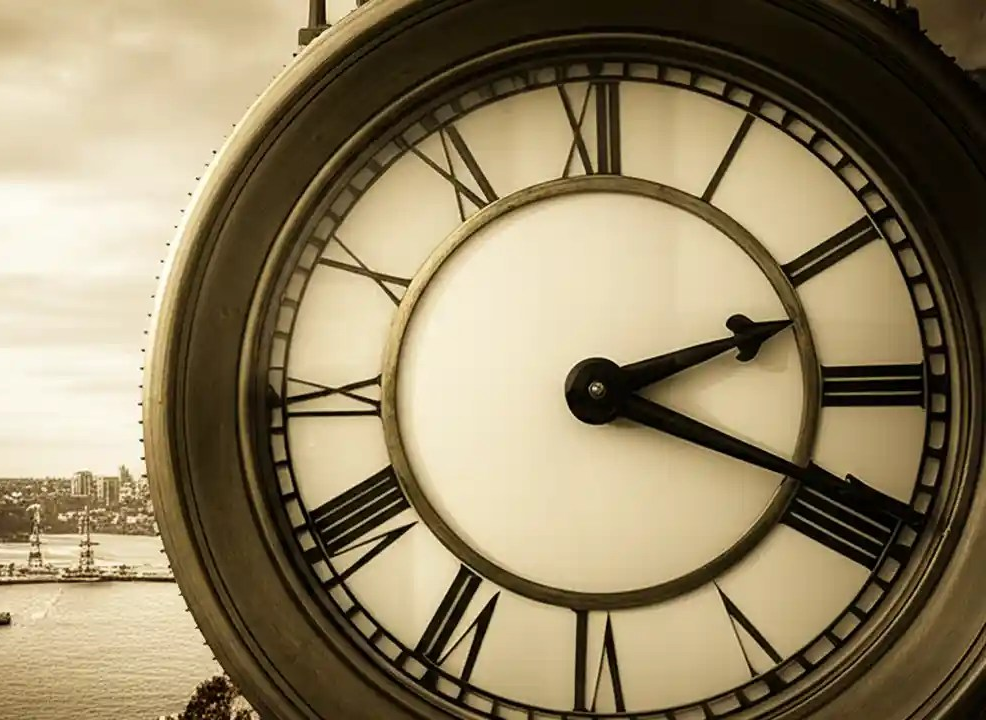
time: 2:18
